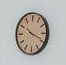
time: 10:18
